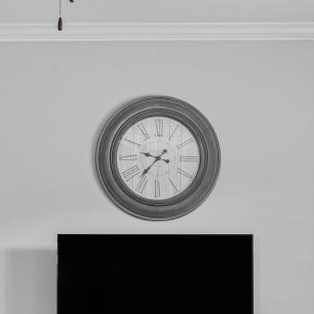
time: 9:36
